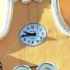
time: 9:44
